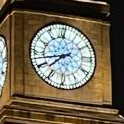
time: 7:42
